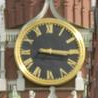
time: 3:16
